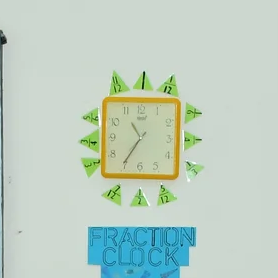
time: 10:35
